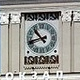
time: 10:42
